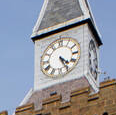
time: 4:26
